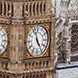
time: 4:57
